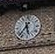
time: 5:36
